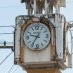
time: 9:36
